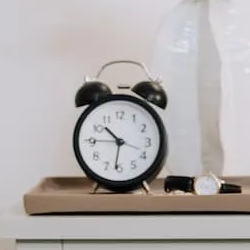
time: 10:31
